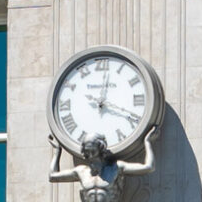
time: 12:19
